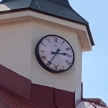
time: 2:35
